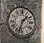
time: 1:33
